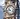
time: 4:42
